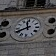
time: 11:40
